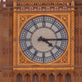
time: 4:14
